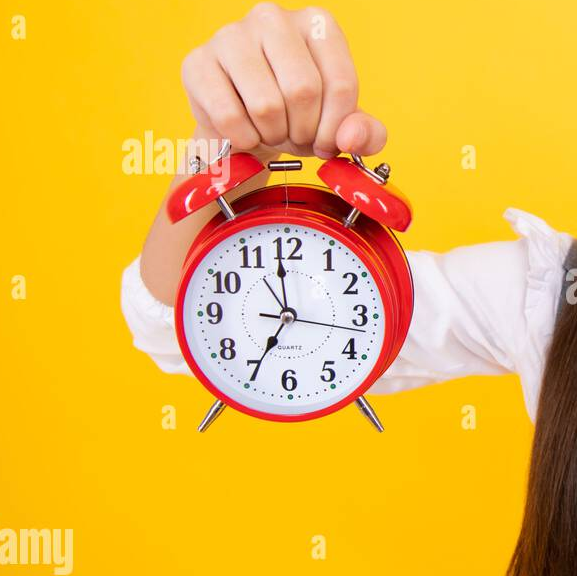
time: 6:58
